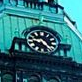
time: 9:22
